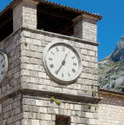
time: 12:34
